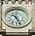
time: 10:26
